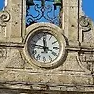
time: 11:46
